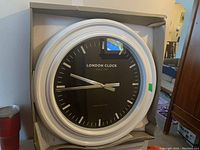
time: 9:44
